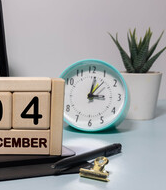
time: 3:01
